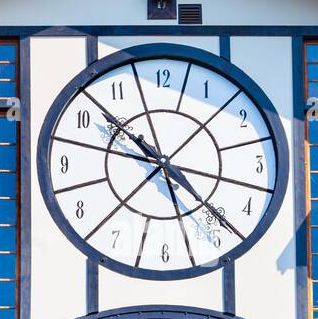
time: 10:22
